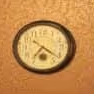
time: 7:21
